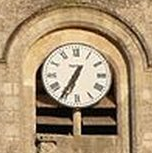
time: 6:35
